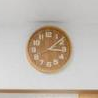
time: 3:08
